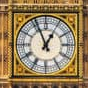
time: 12:56
